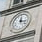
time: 12:16
